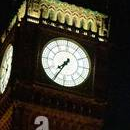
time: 7:35
